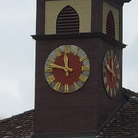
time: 11:47
